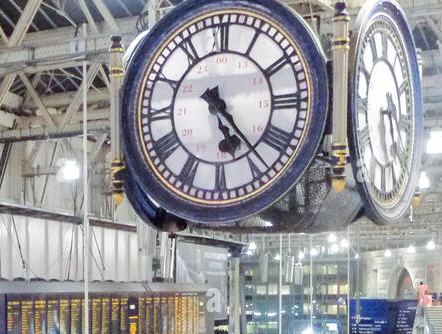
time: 5:23
